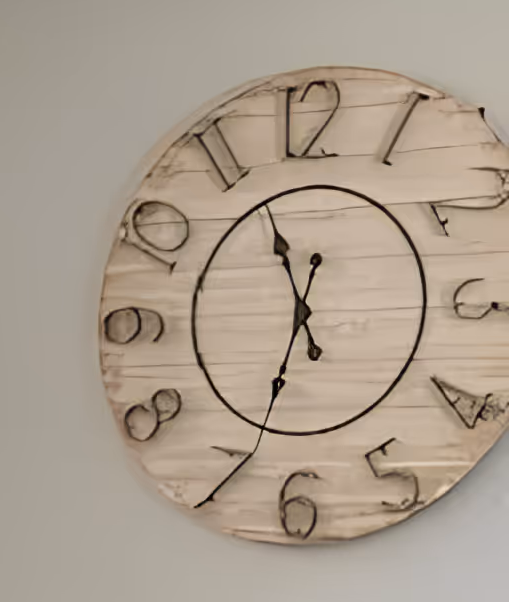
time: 11:33
